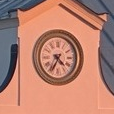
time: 4:35
